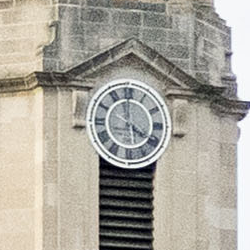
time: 3:58
